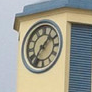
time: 1:36
